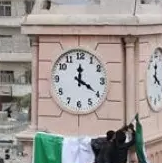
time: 12:19
